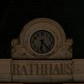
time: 6:23
